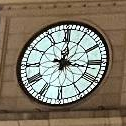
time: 12:16
